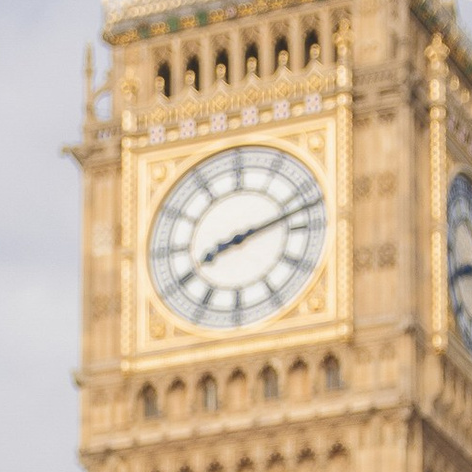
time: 8:12
